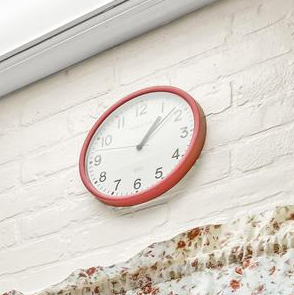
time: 1:07
